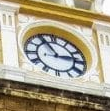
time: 2:54
